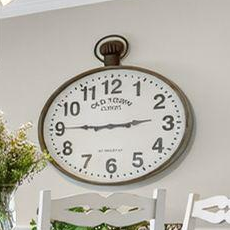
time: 2:45
